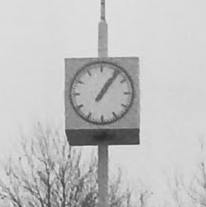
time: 1:06
